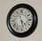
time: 4:28
